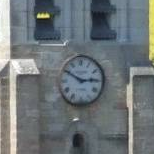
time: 2:50
